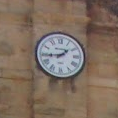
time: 1:44
